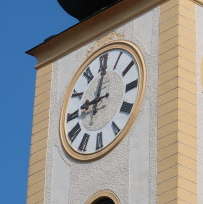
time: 9:01
